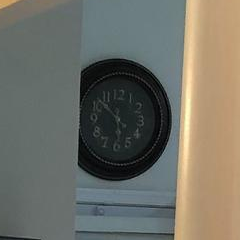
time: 5:51
